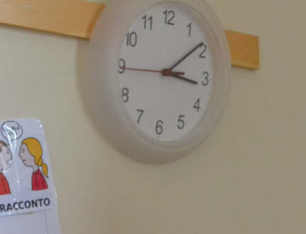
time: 3:08
